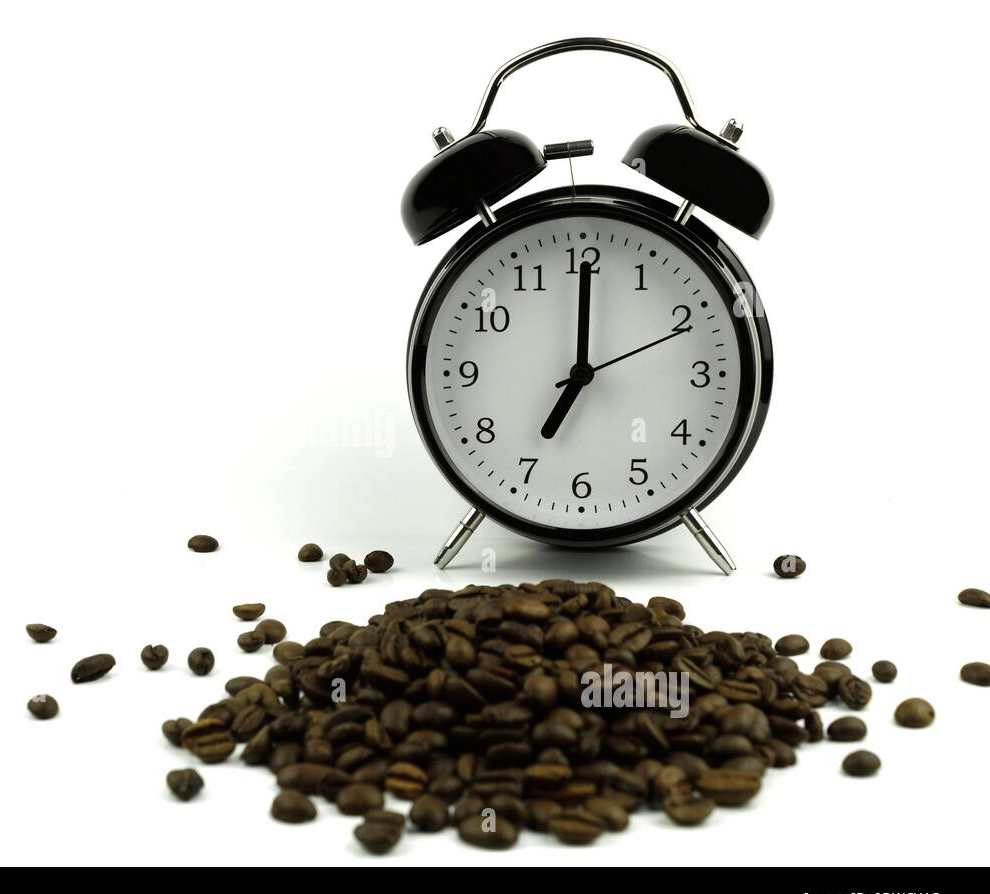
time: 7:00
